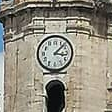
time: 3:07
